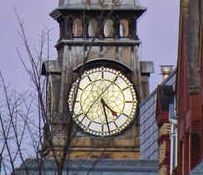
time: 4:27
